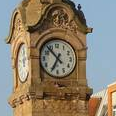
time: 6:53
